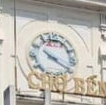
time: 10:19
